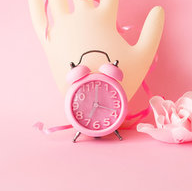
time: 7:00
